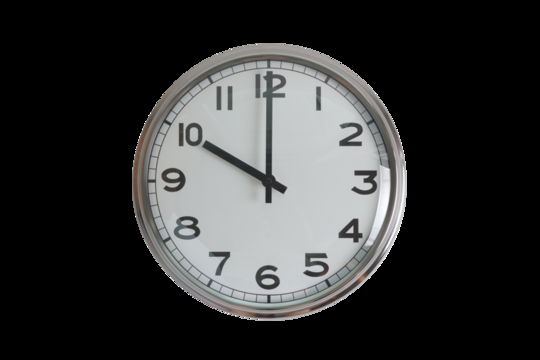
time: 10:00
